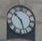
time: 10:26
